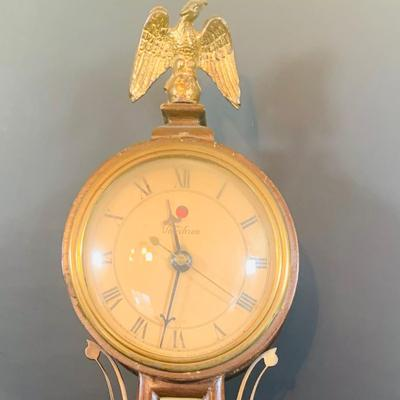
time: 11:32
